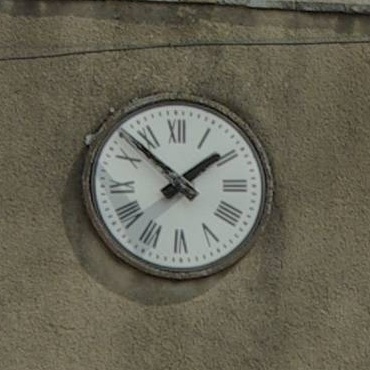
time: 1:52
